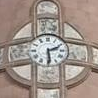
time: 2:29
